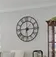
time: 6:14
